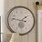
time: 1:46
